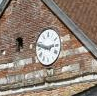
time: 2:48
